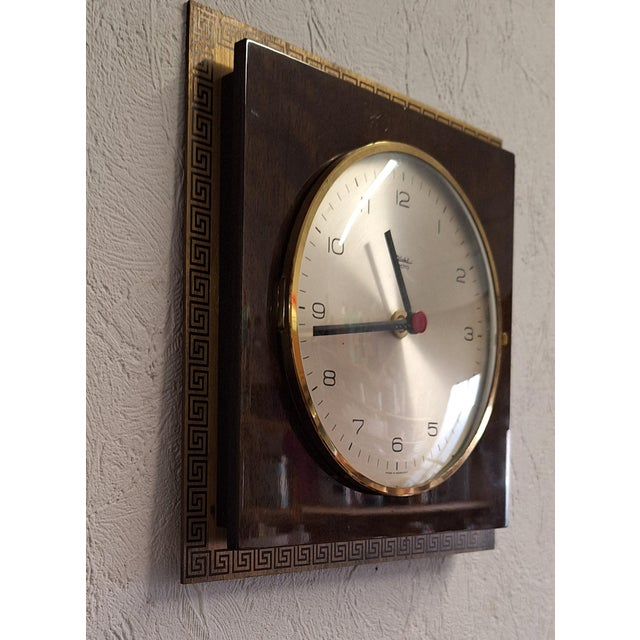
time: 10:43
